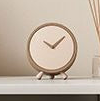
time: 10:07
